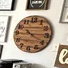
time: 10:14
